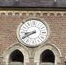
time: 8:40
